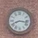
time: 8:16
